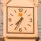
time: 7:34
